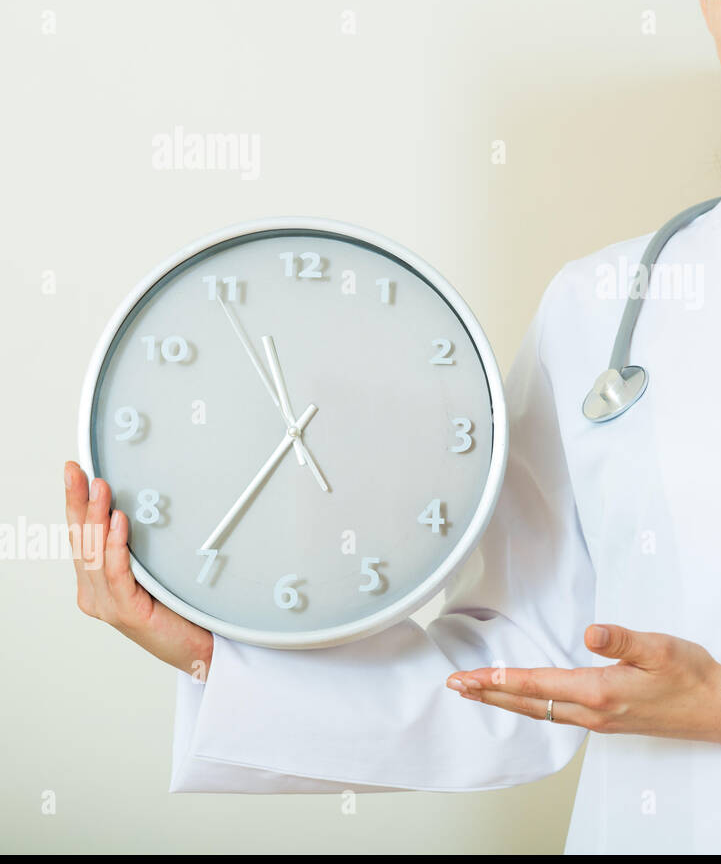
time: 11:35
